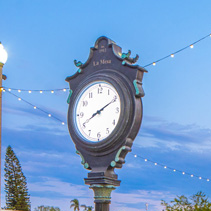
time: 8:11
